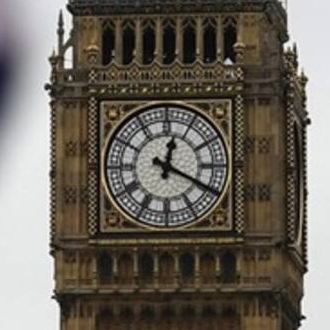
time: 12:19
